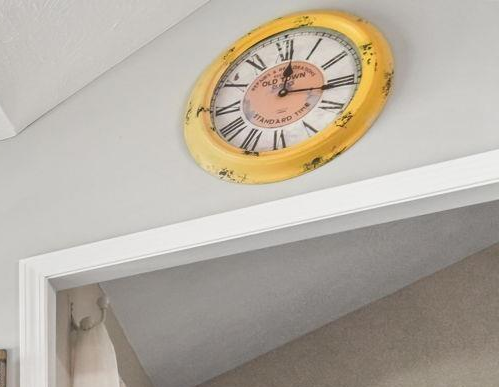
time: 12:15
